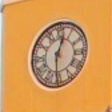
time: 12:30
